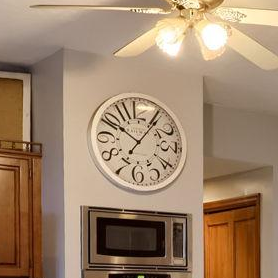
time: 10:05
